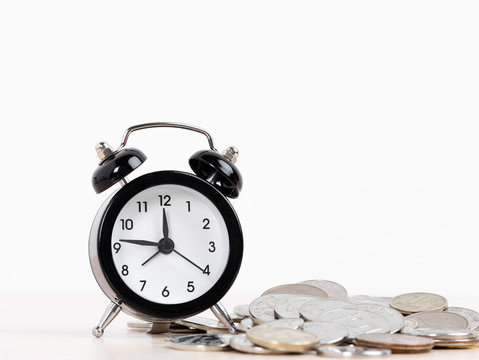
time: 11:46
